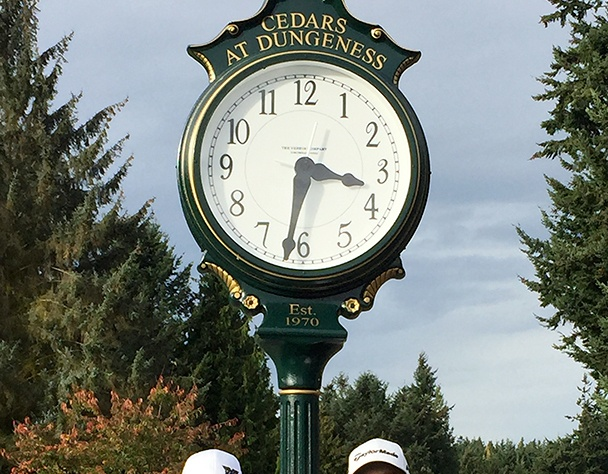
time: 3:31
